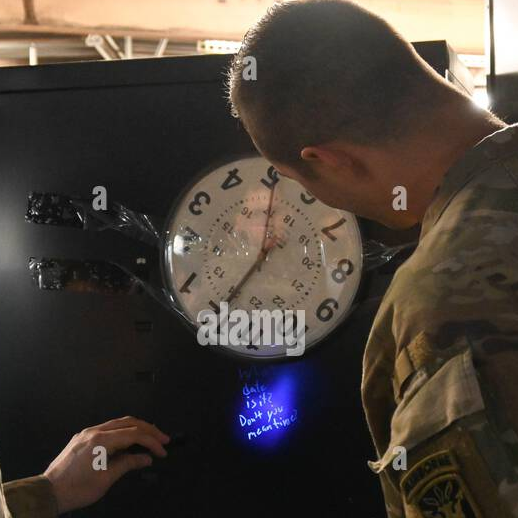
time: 7:00
